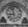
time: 8:58
